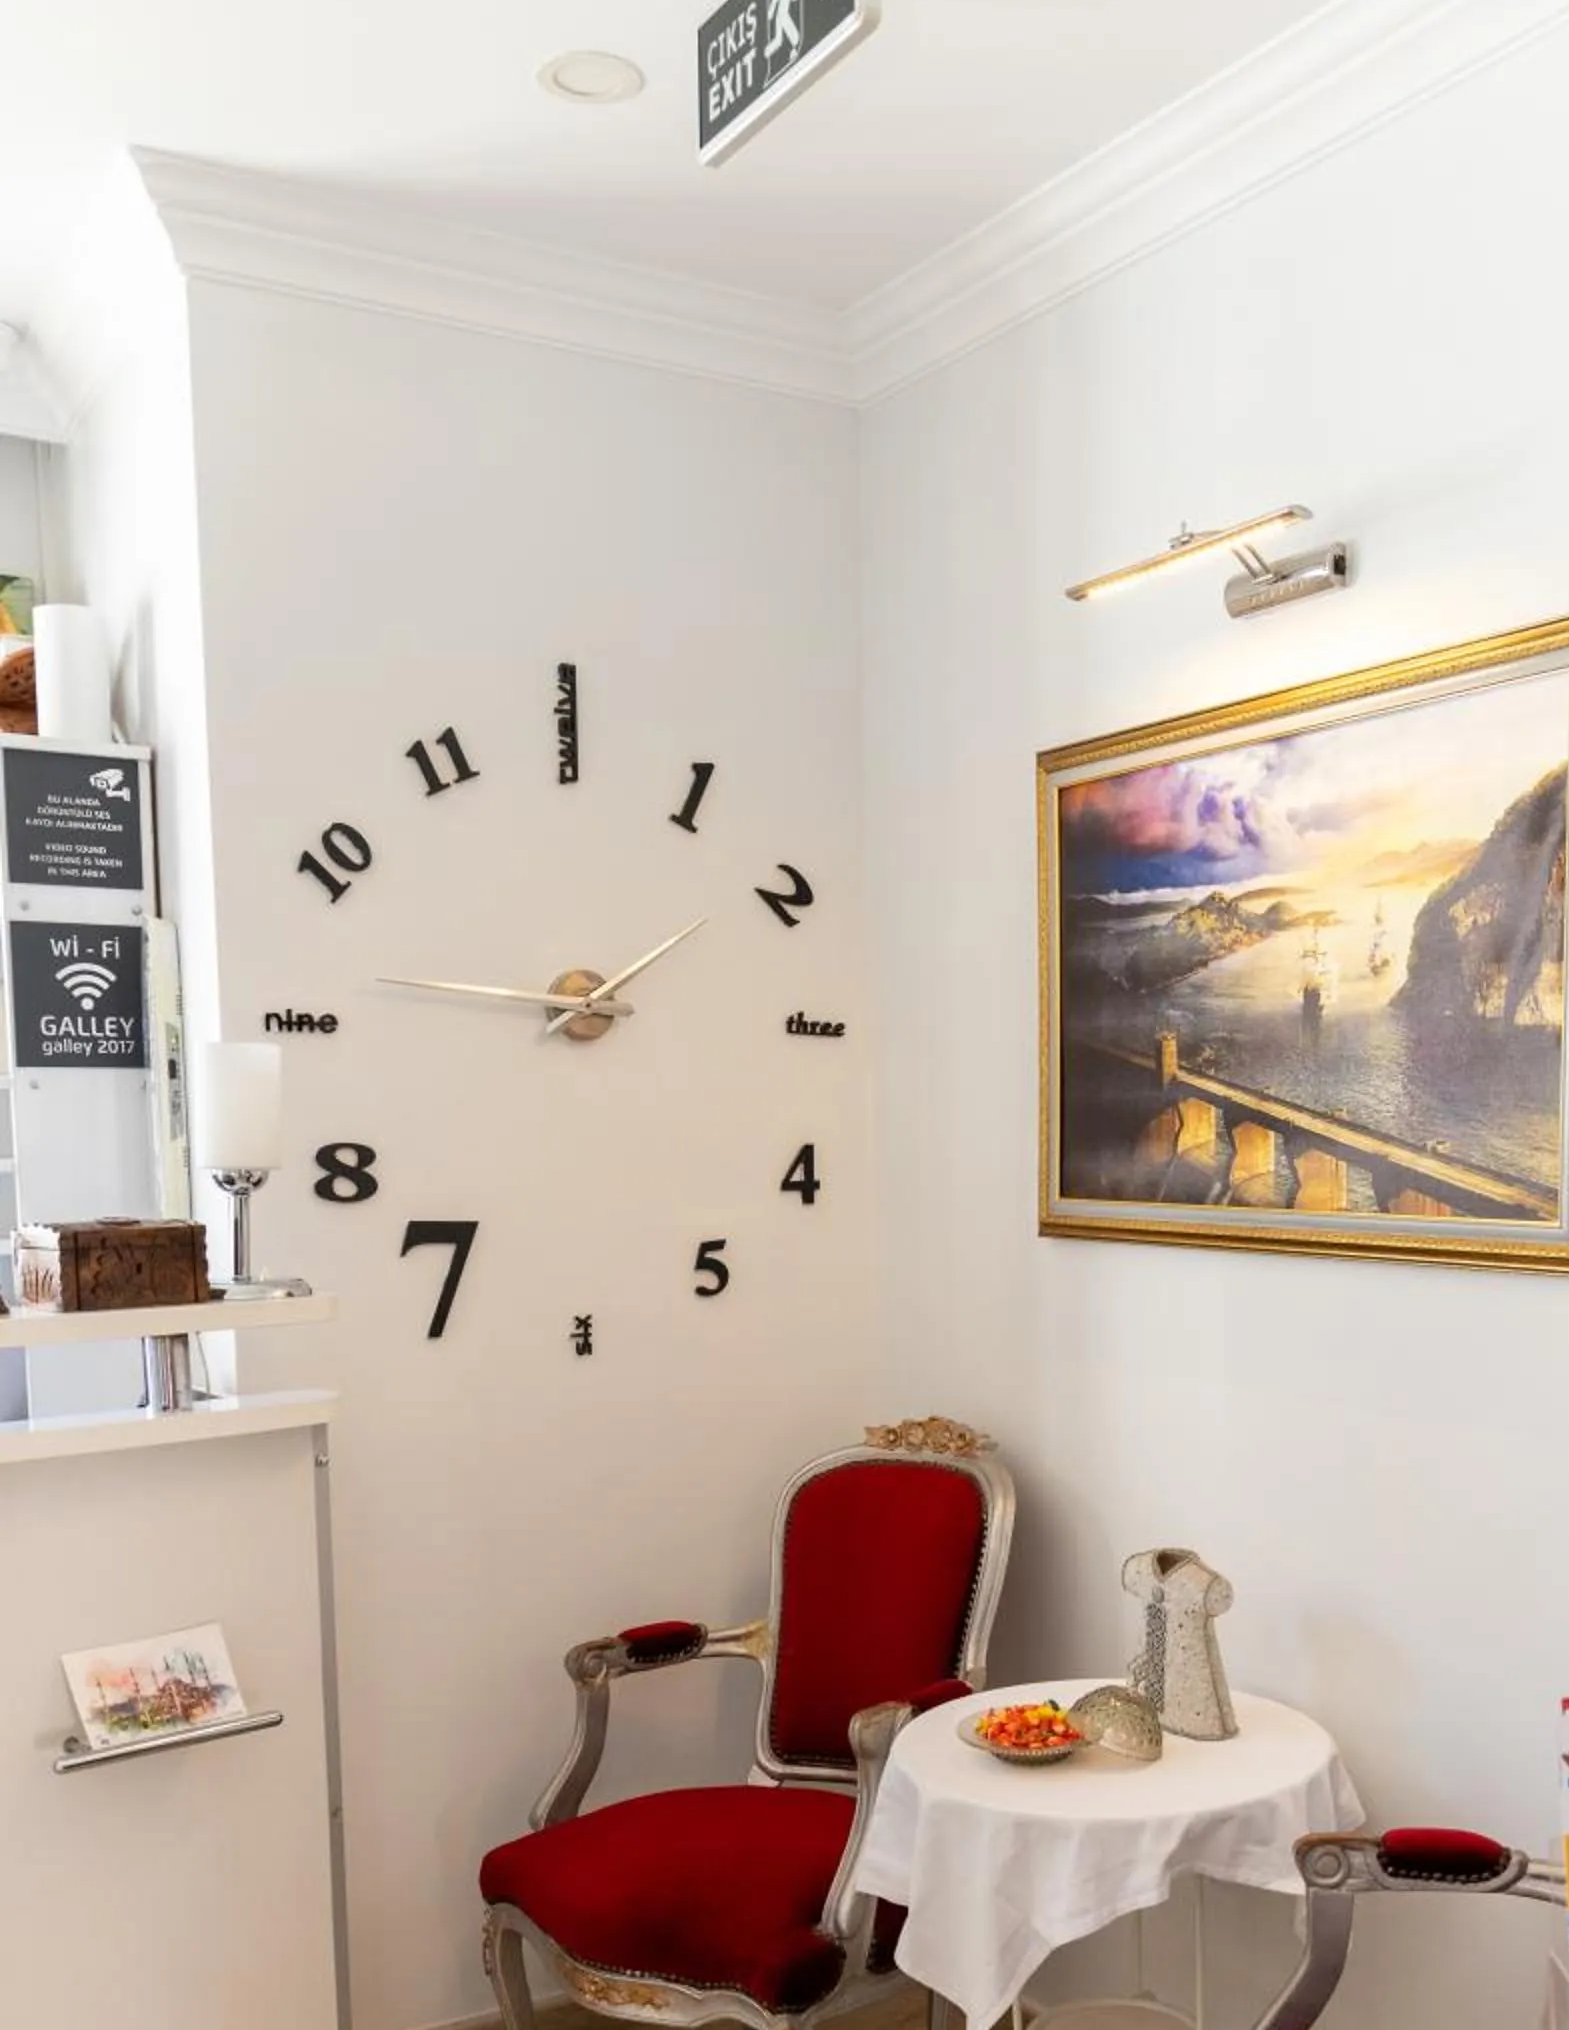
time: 1:46
